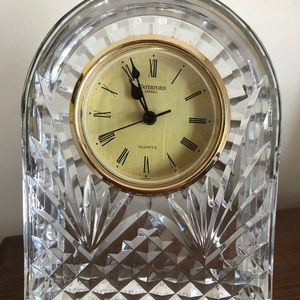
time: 10:56
